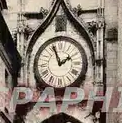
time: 1:56
